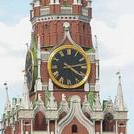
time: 4:12
